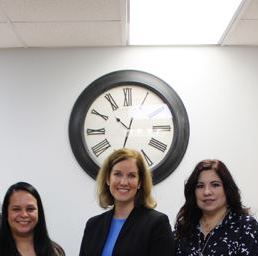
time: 10:33
